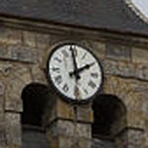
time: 1:59
